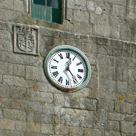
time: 12:23
